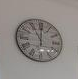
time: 11:00
